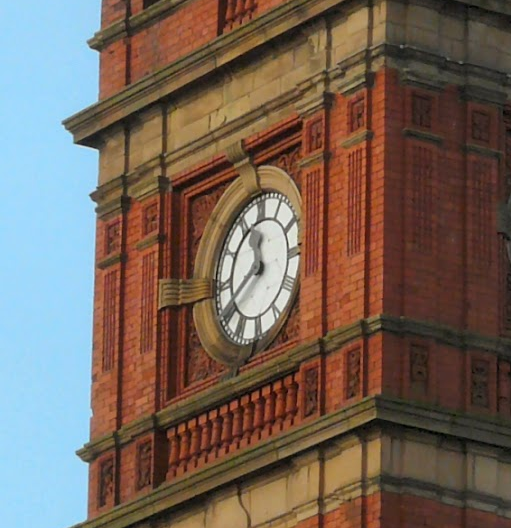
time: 11:40
